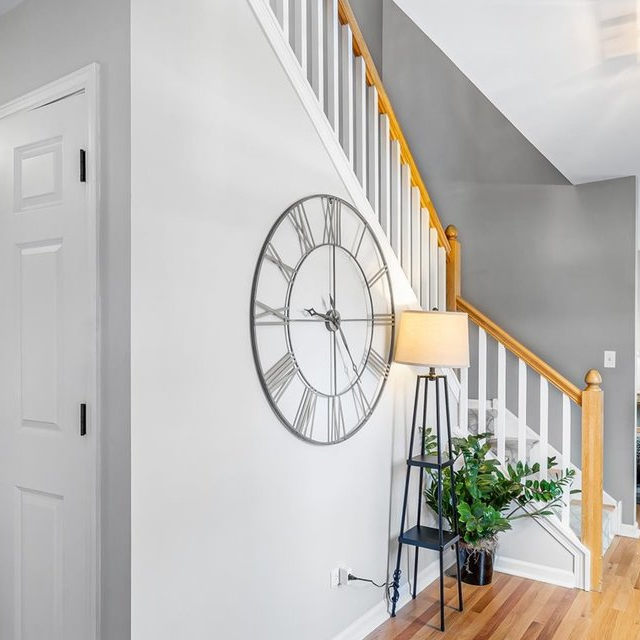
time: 9:00
